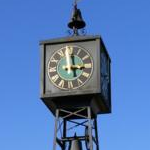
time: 2:58
